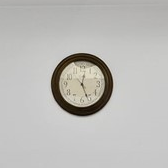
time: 12:26
